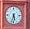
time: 5:33
